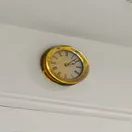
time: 2:07
